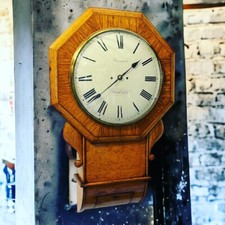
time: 1:38
